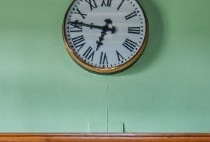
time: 6:46
